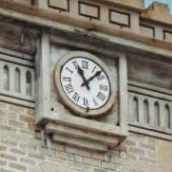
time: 11:07
